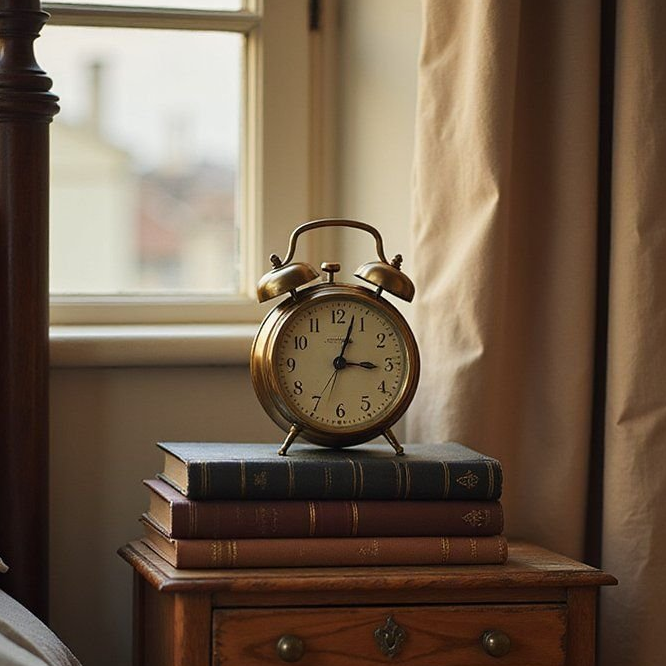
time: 3:03
